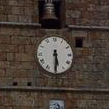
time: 5:30
